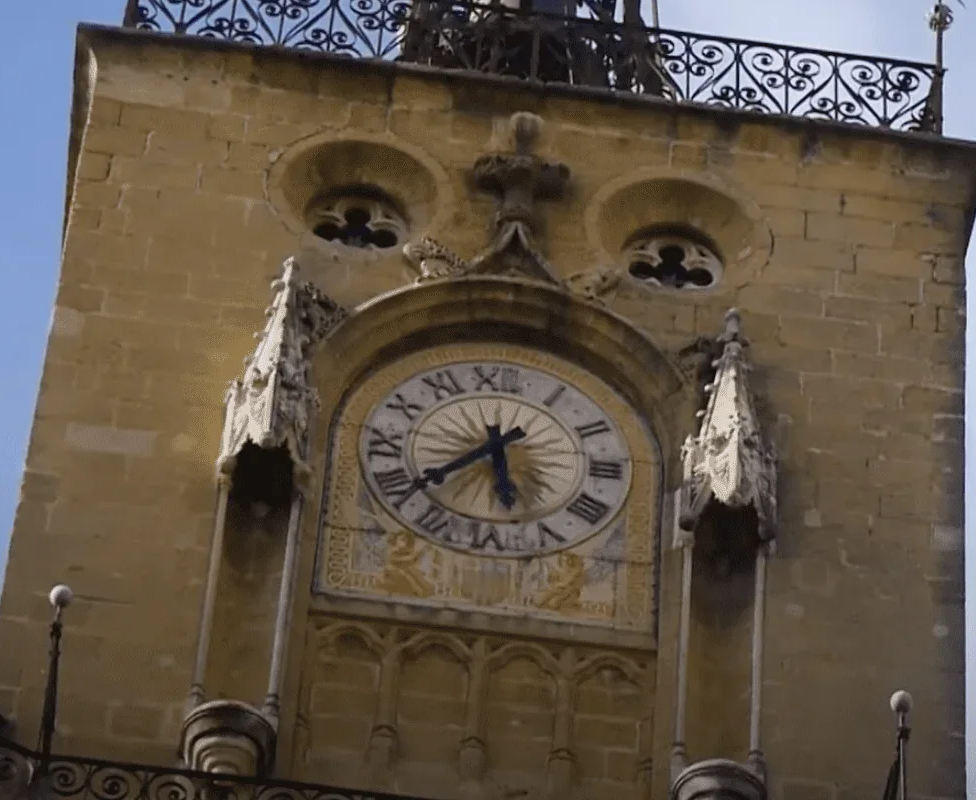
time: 5:38
